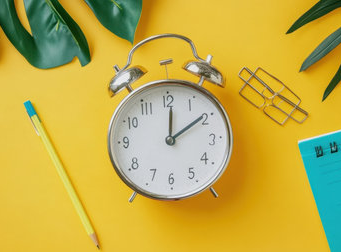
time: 12:09
